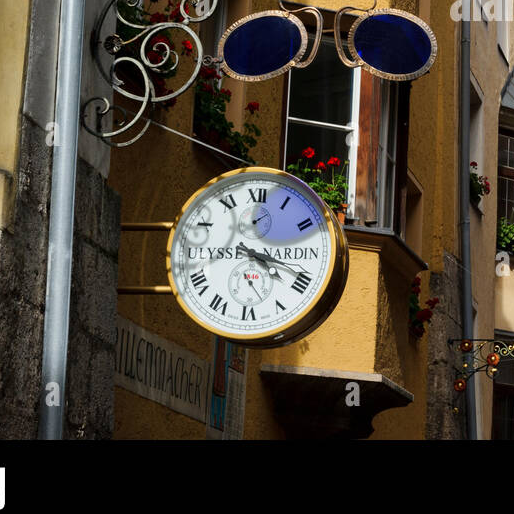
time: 4:18
